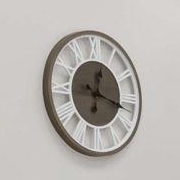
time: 12:17
